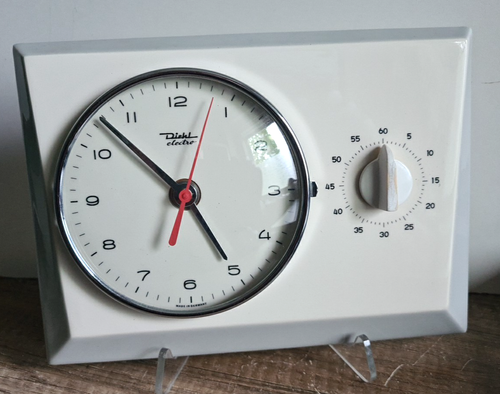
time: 4:52
